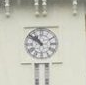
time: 10:51
